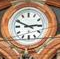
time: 2:49
